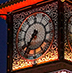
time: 7:36
